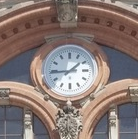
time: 1:44
